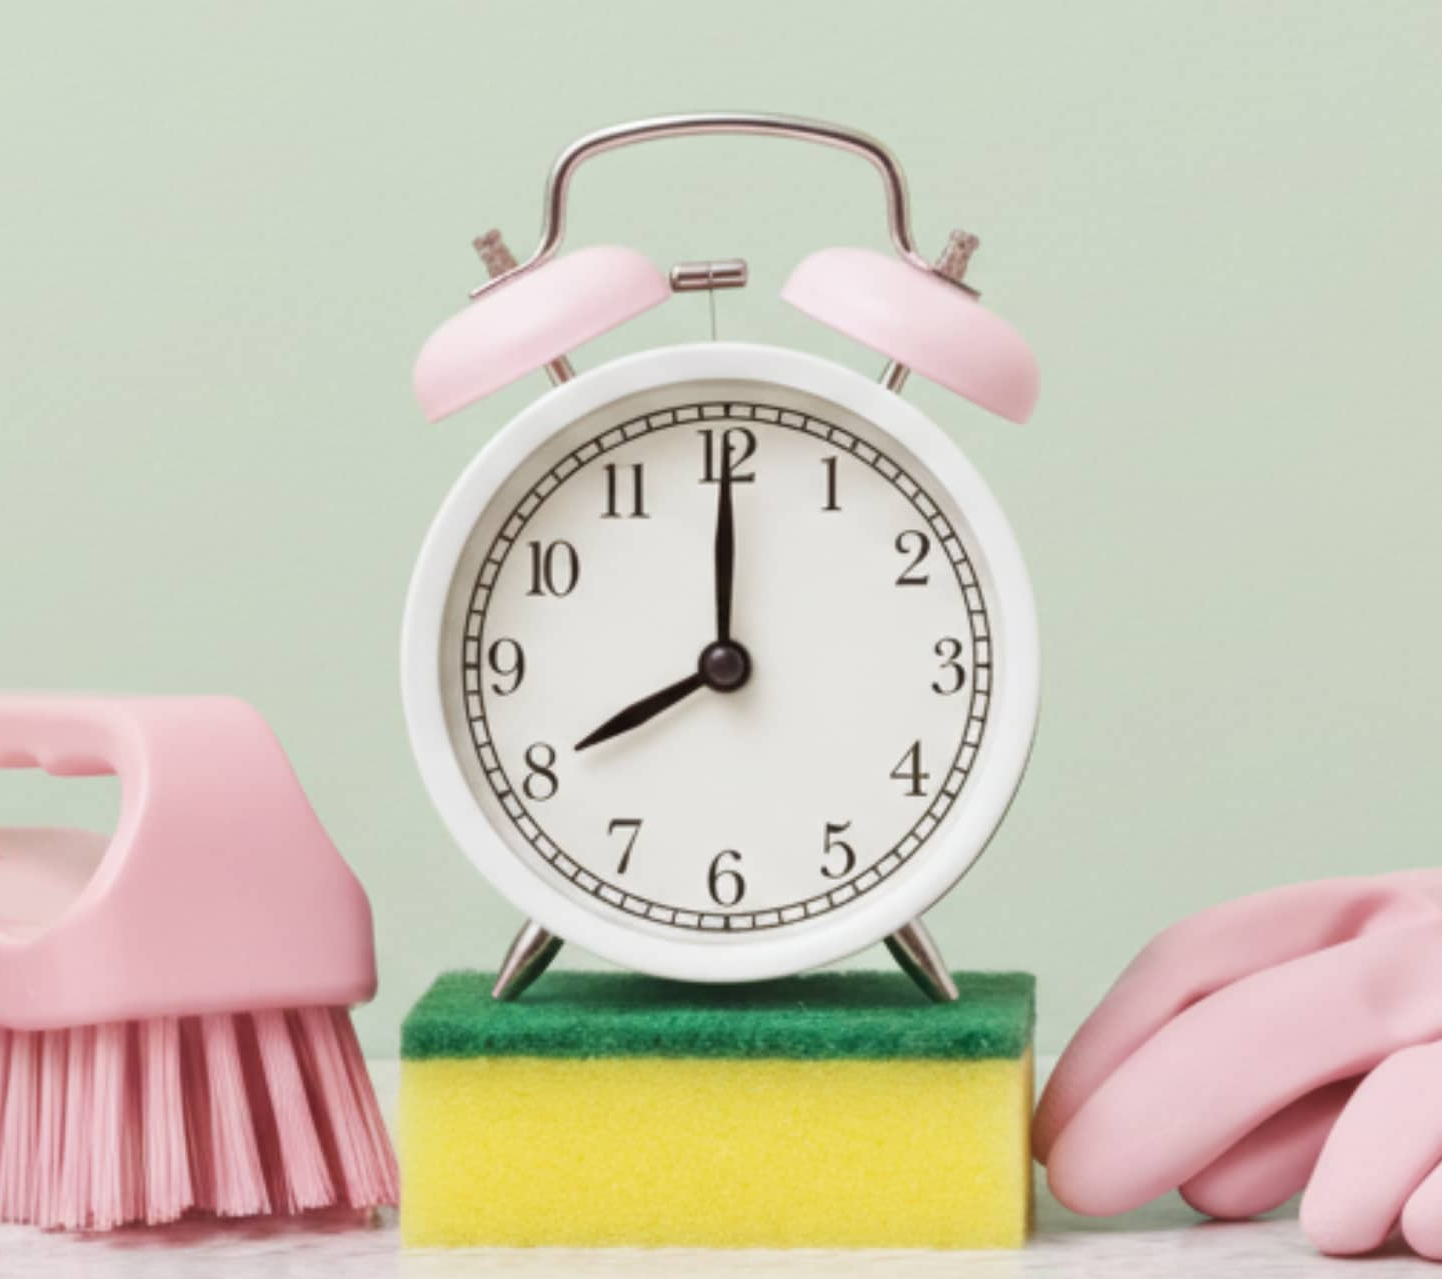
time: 8:00
